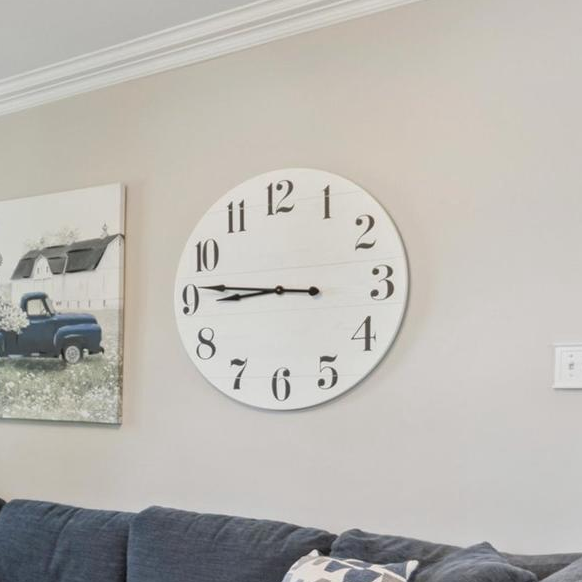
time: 8:46
